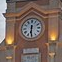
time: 6:29
